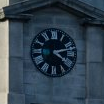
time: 4:12
